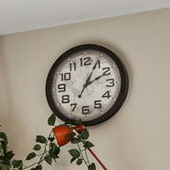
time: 2:04
